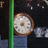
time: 4:04
